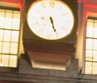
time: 5:26
